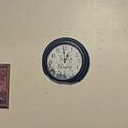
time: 12:59
